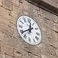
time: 12:39
